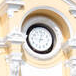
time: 9:02
